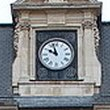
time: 9:56
